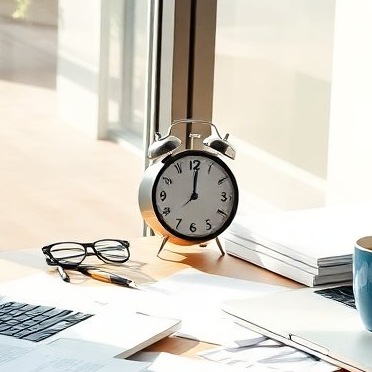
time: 12:00
